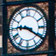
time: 9:20
